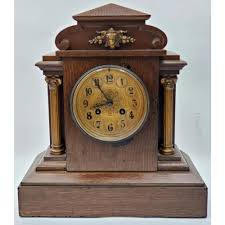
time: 8:54
